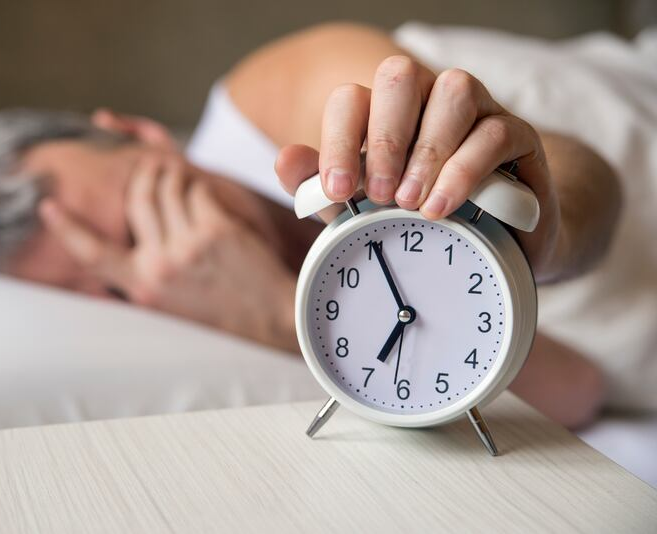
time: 6:55
